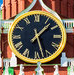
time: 1:27
